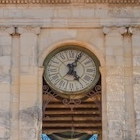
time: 5:04
